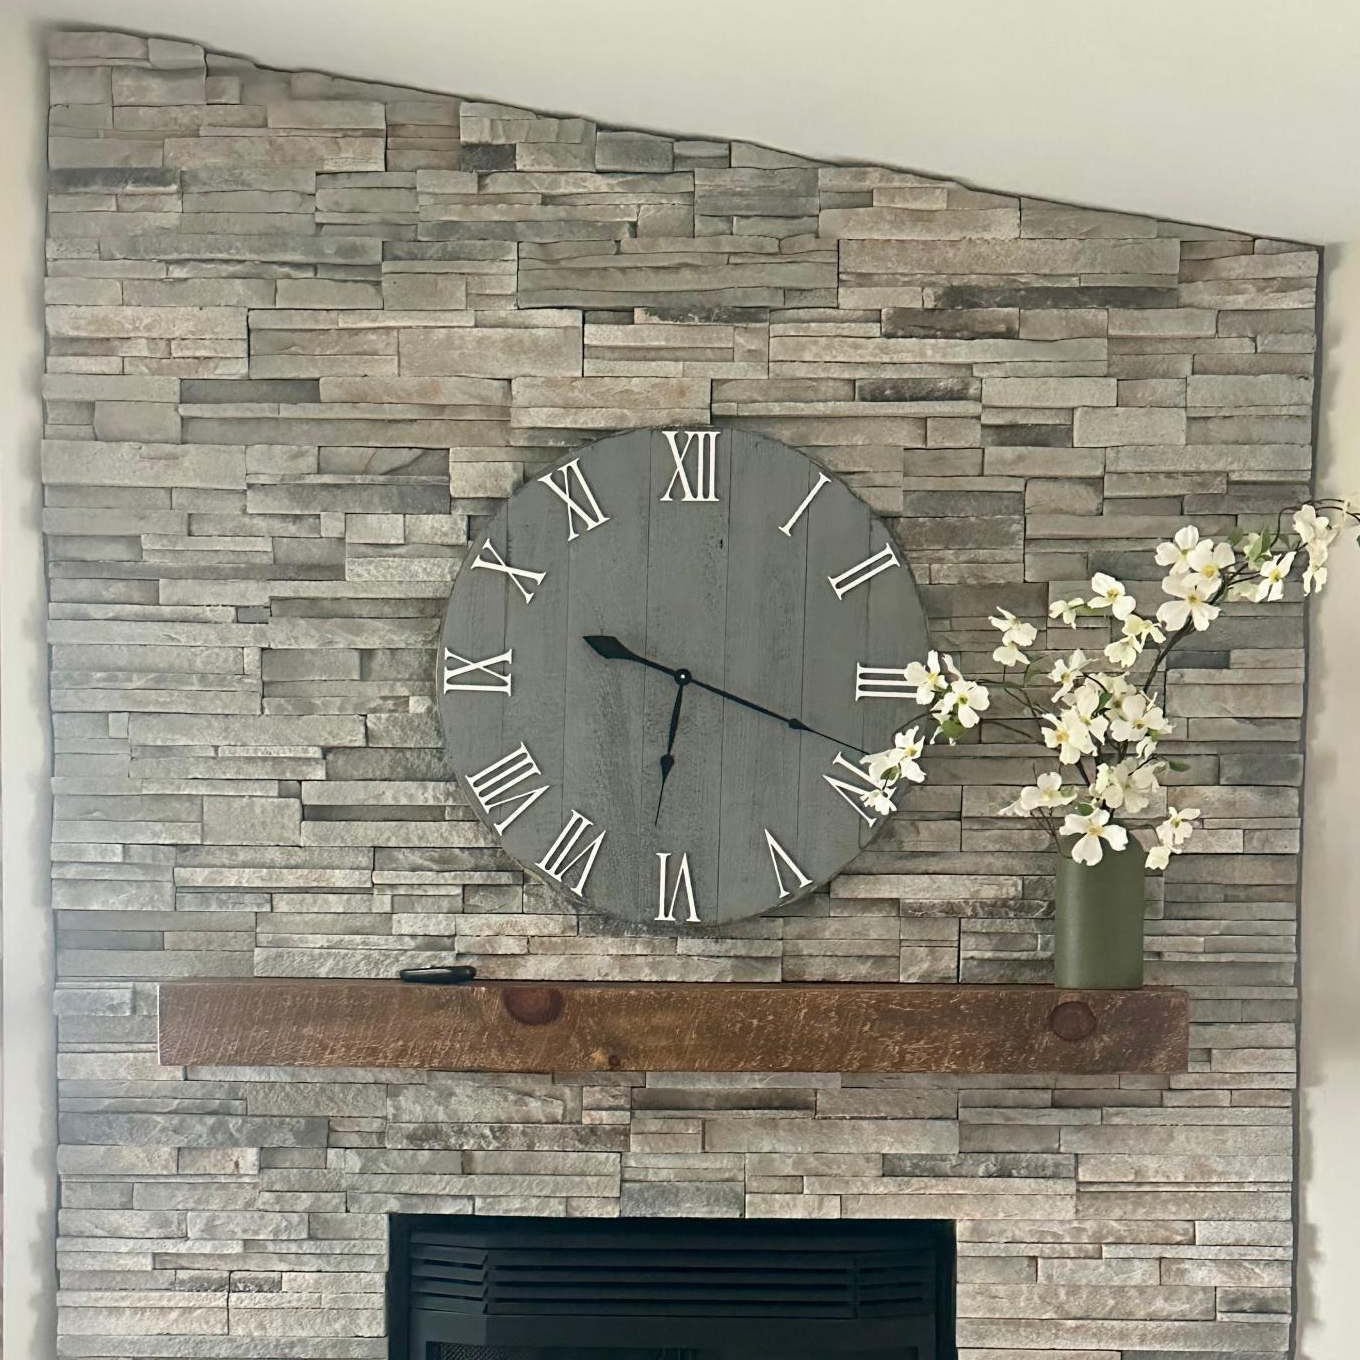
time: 6:18
